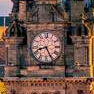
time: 8:26
